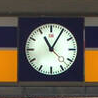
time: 11:05
